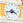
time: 3:43
